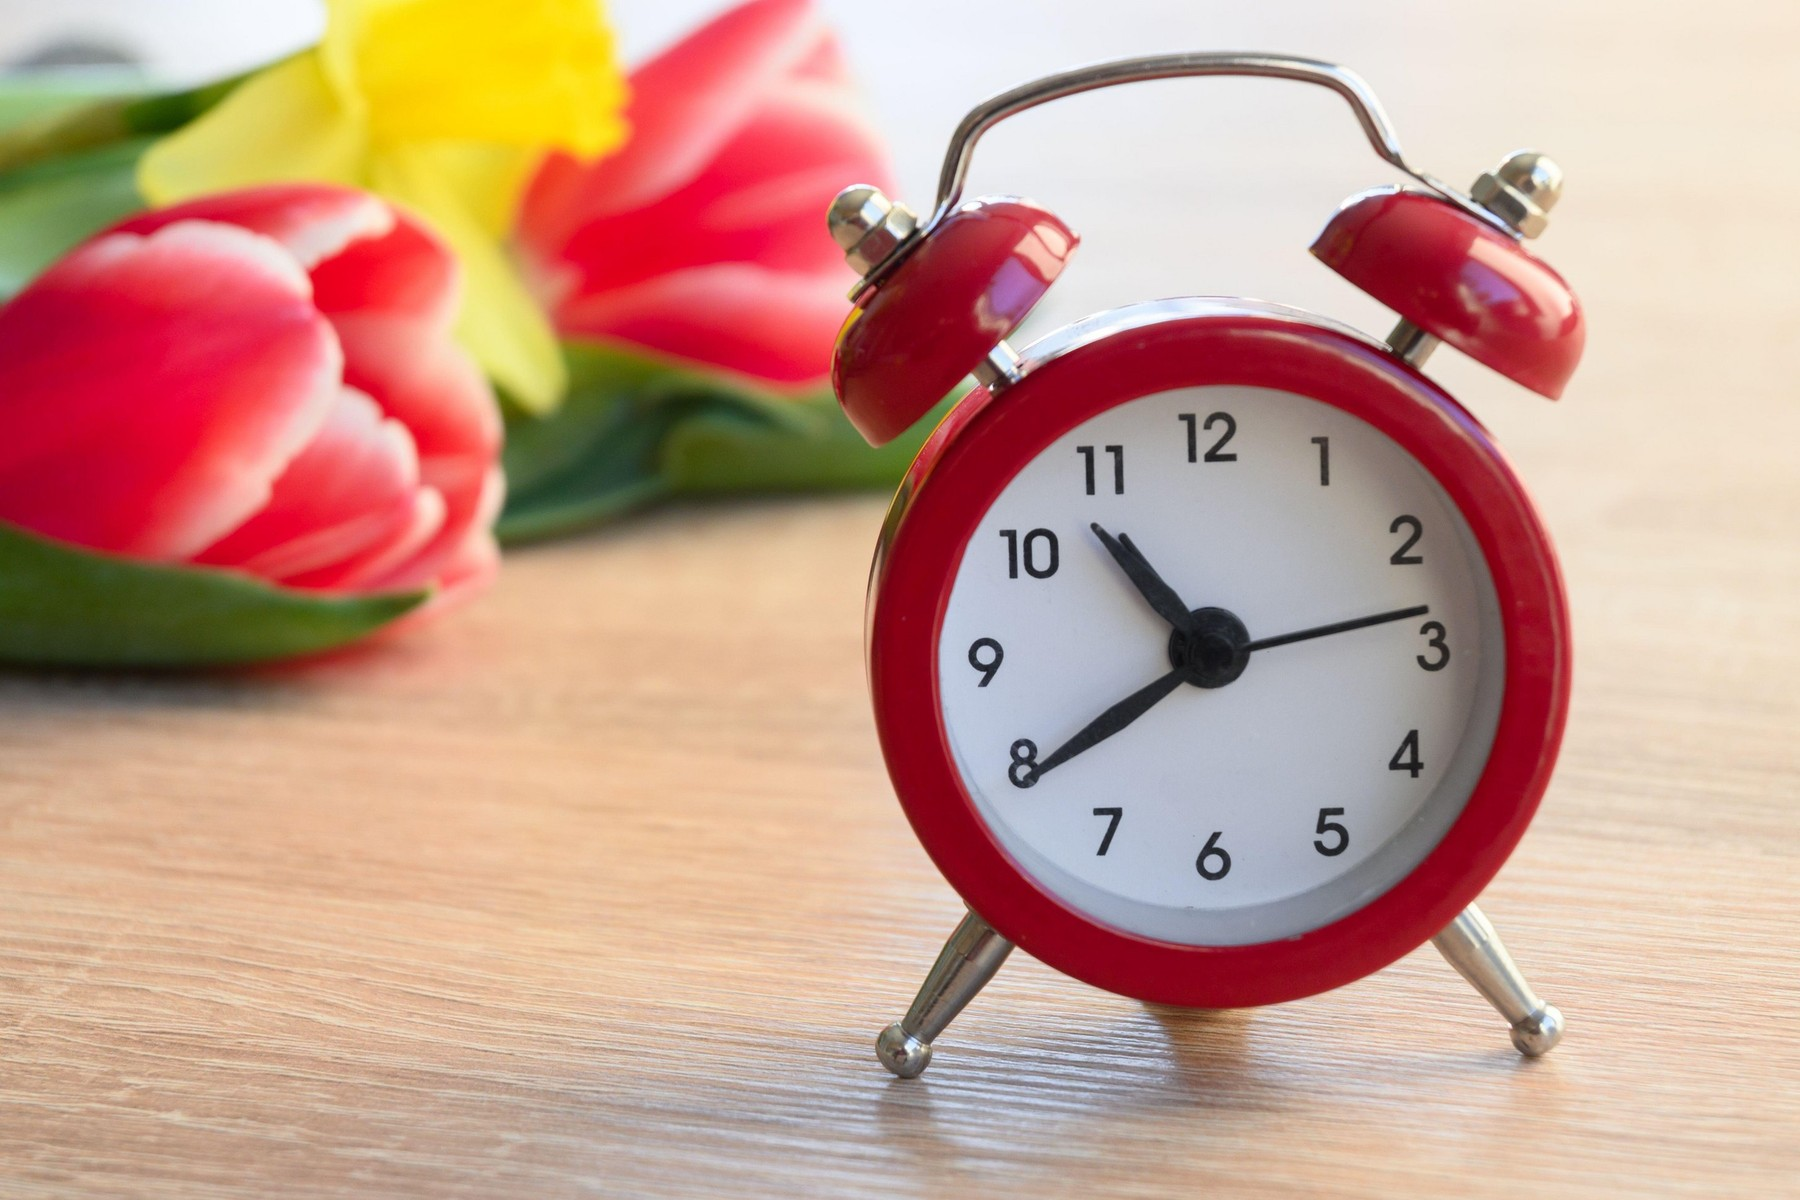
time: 10:39
